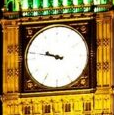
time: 9:47
